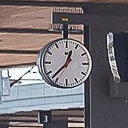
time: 12:37
